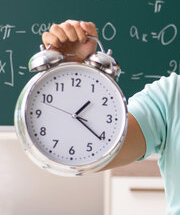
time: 1:21
